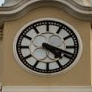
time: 4:18
